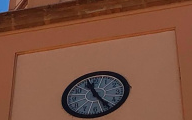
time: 11:24
